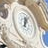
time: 12:06
